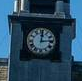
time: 12:14
